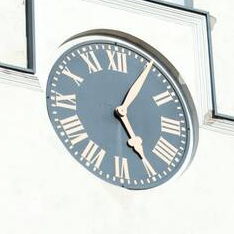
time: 5:05
